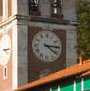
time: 4:14
